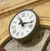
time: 11:16
